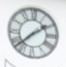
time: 1:37
